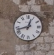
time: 12:42
